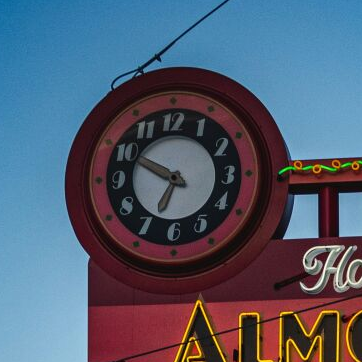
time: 6:49
